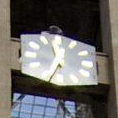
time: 11:34
